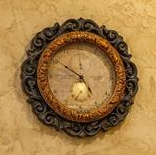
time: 4:50
